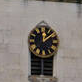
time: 12:07
